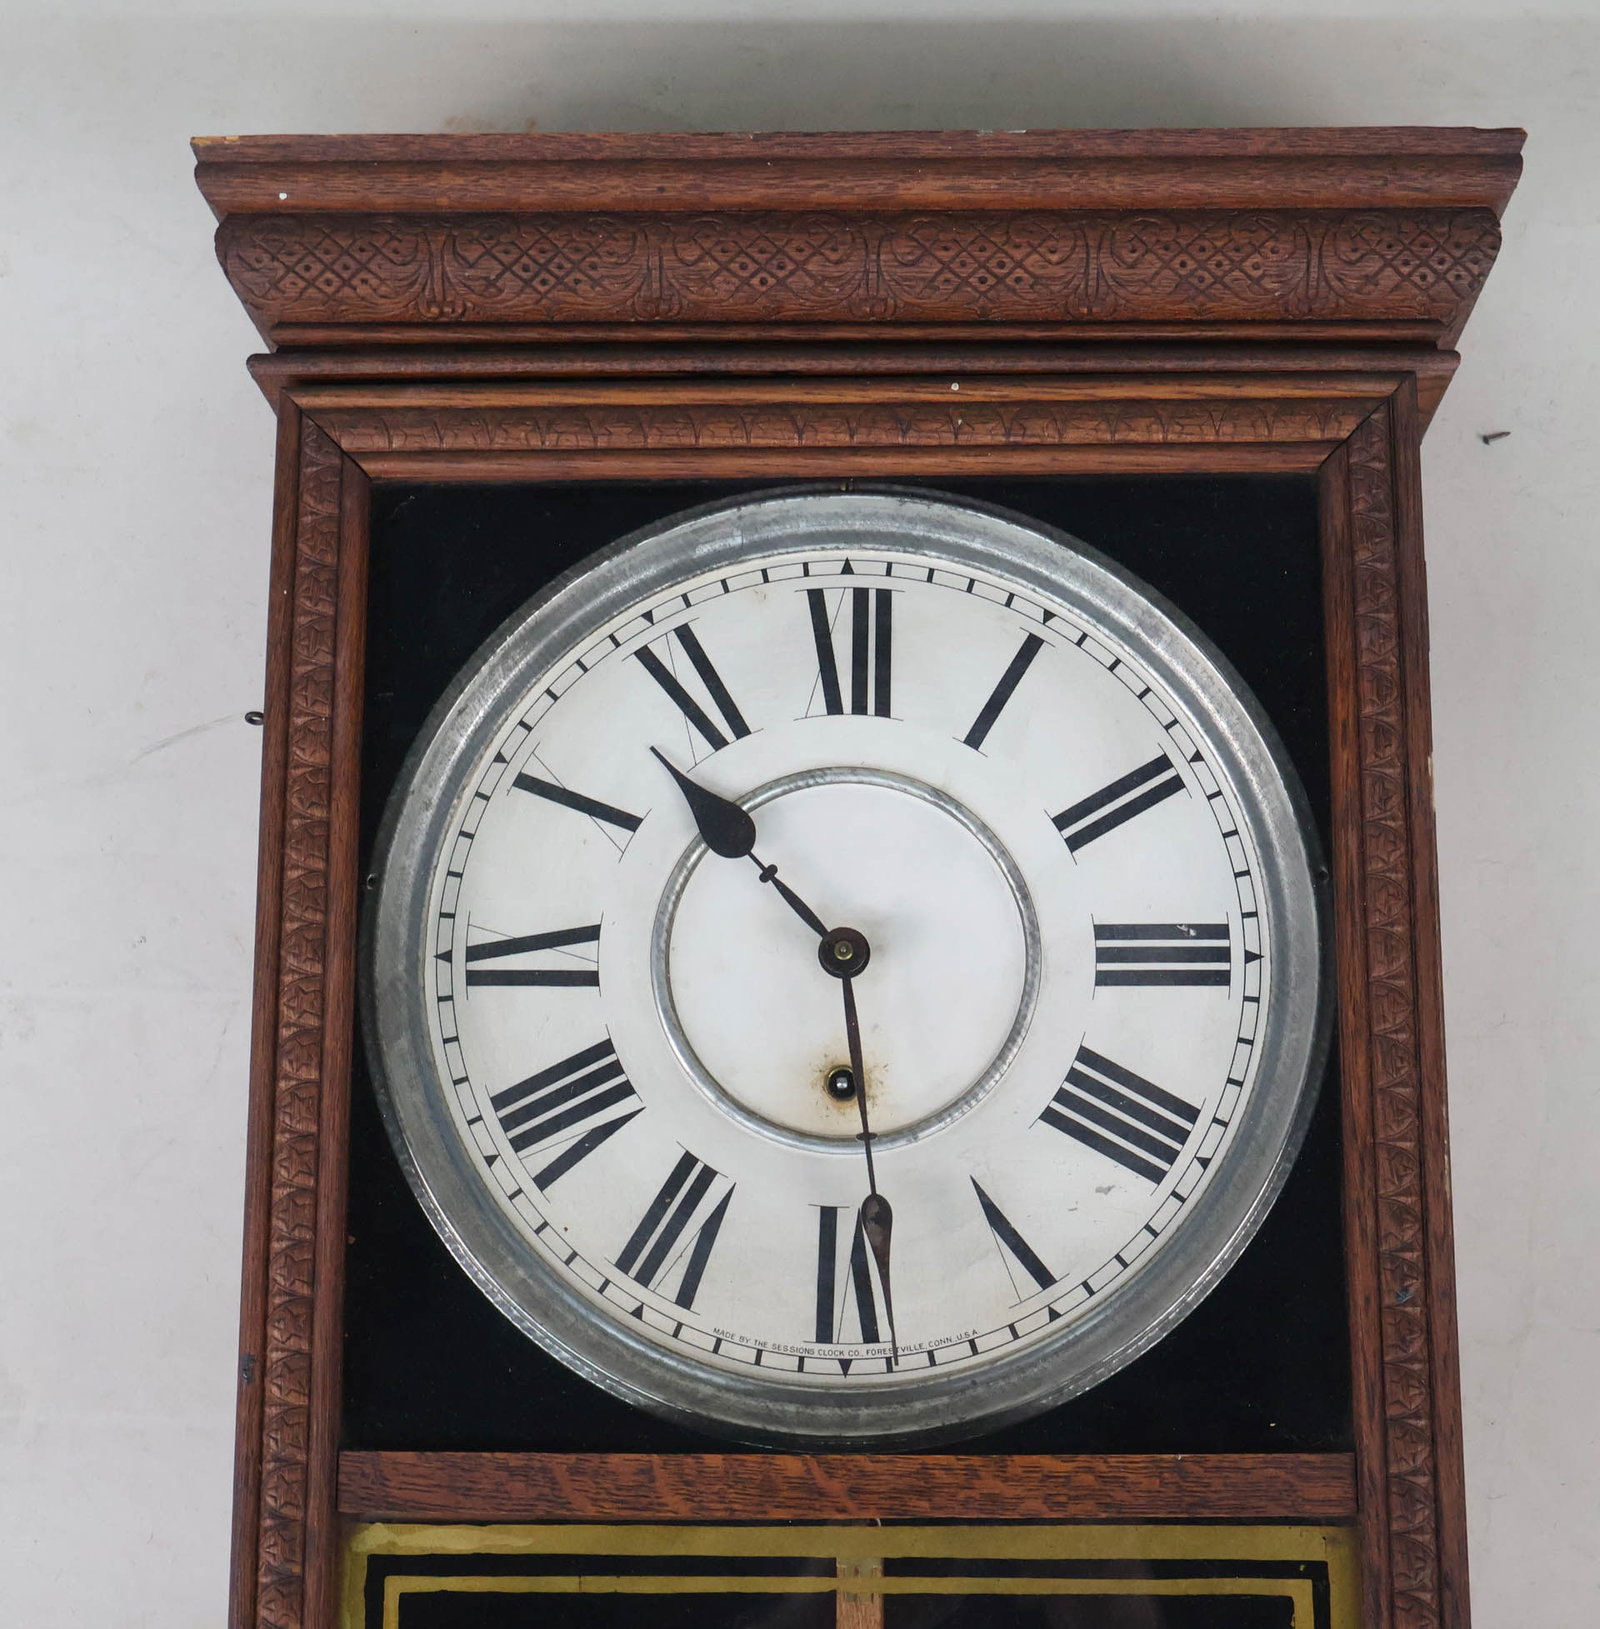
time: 10:28
